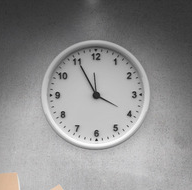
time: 3:55
